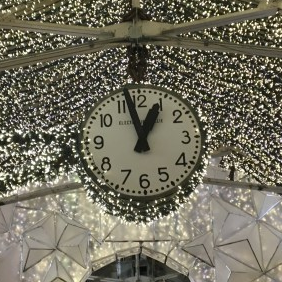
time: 12:57
